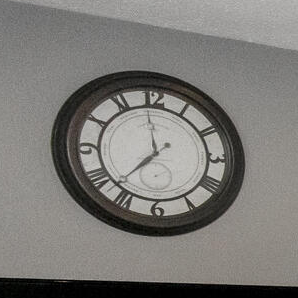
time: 7:37
